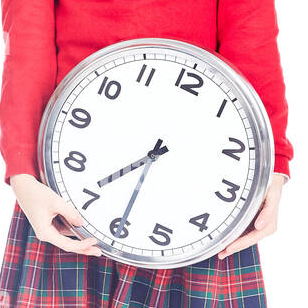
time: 7:30
